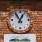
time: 12:55
